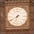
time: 6:40
